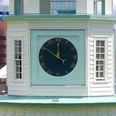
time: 11:50
